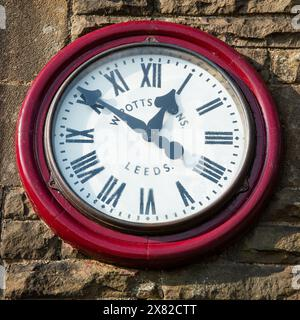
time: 12:50
